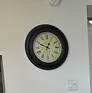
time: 12:49
